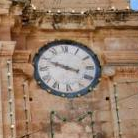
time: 3:48
